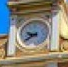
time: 9:39
